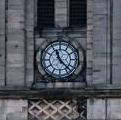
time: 11:22
